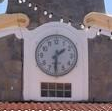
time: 1:30
